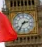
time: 2:36
